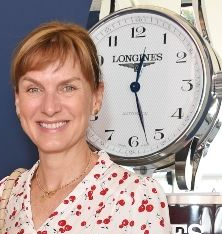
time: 12:27
